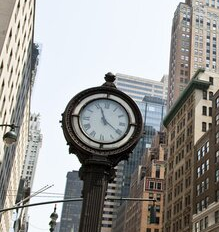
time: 11:20
